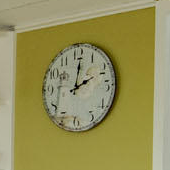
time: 2:01
